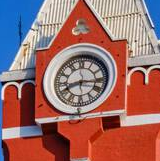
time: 8:15
